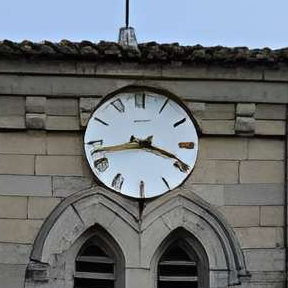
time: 3:42
